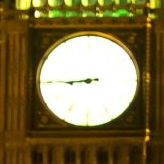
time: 8:44
